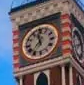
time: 11:36
